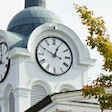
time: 12:49
